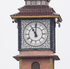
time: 11:00
